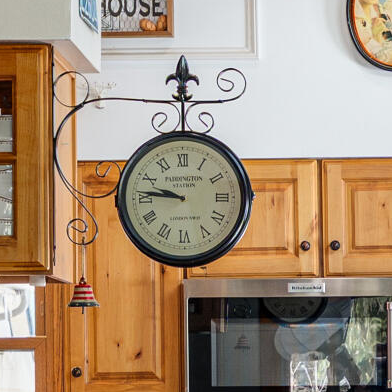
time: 9:45
